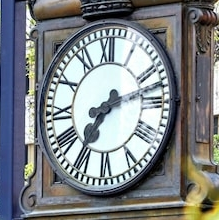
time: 7:12
